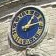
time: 1:12
